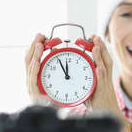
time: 11:55
